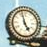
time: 4:57
